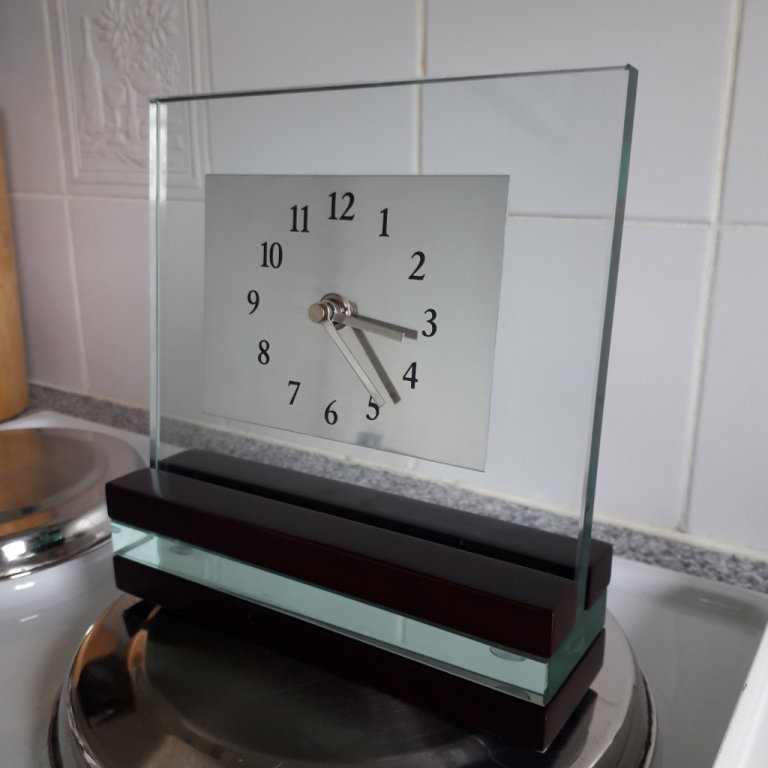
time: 3:23
